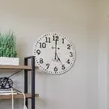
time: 5:00
